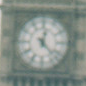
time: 12:22
